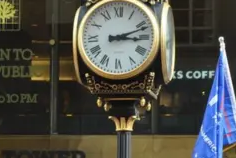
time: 3:11
